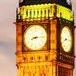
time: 8:14
